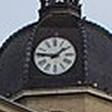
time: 1:46
